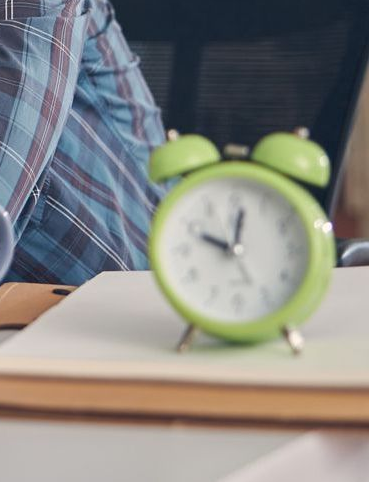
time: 10:02
